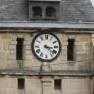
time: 3:22
